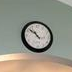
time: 10:51
